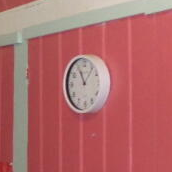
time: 11:06
